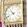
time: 10:41
